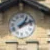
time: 1:11
